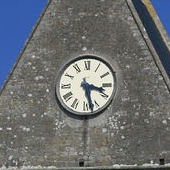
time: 3:27
